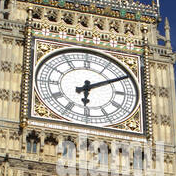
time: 6:10
